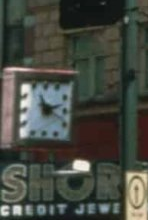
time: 11:12
